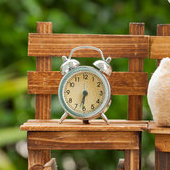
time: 6:31
